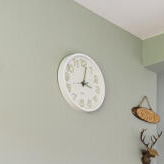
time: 3:01
